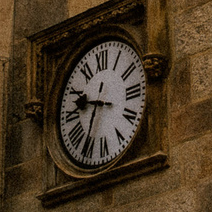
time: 9:34
